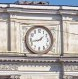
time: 1:42
